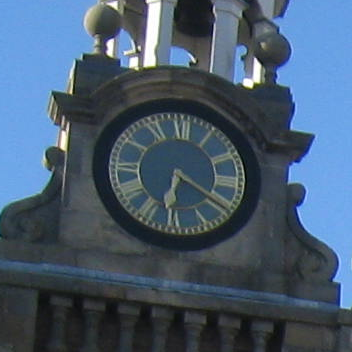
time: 6:20
